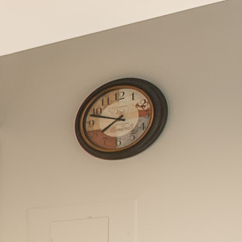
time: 7:47
